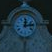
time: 12:13
